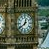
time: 12:39
